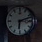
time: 6:11
